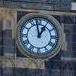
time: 12:58
